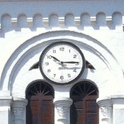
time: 10:14
